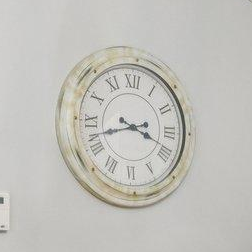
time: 3:42
